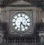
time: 4:31
